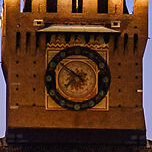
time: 7:51
